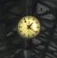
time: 1:21
